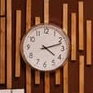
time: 4:12
